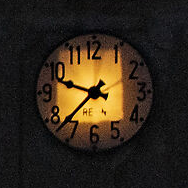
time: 9:37
